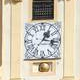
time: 1:16
